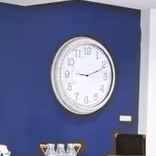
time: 9:11
